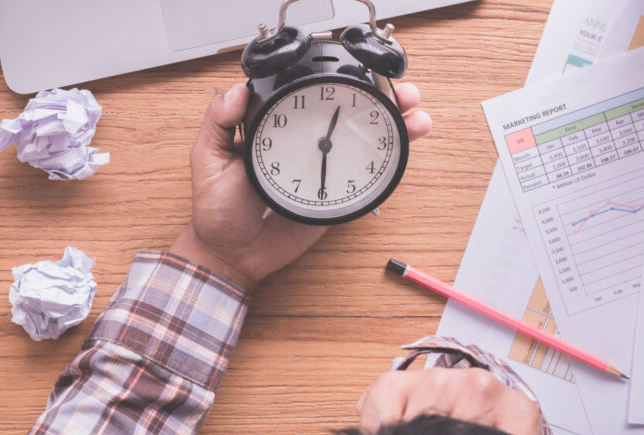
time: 12:30
